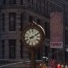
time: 8:09
